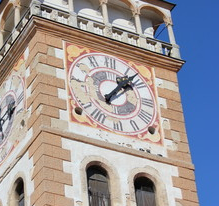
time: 1:07
